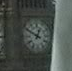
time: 12:49
